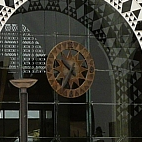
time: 10:34
